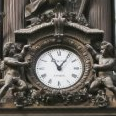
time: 11:06
